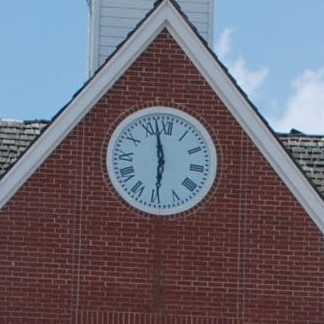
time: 5:57
